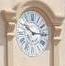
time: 10:14
